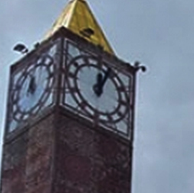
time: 12:03
